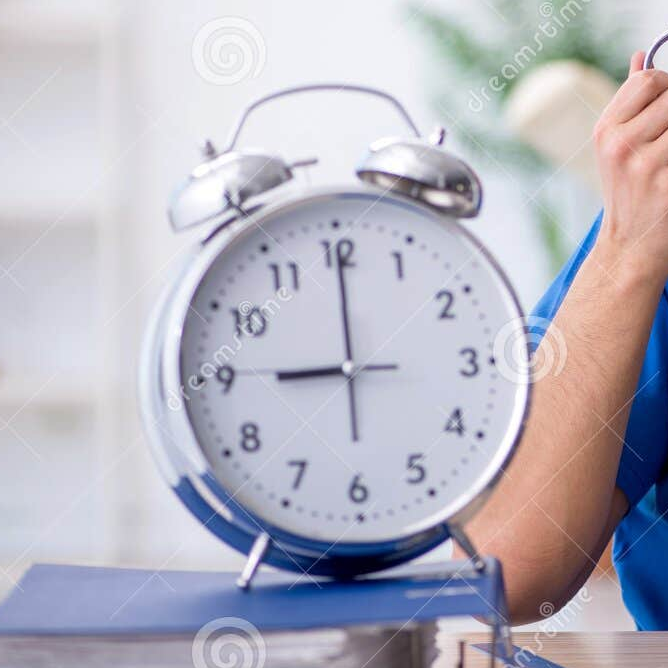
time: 9:00
